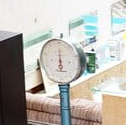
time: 6:01
